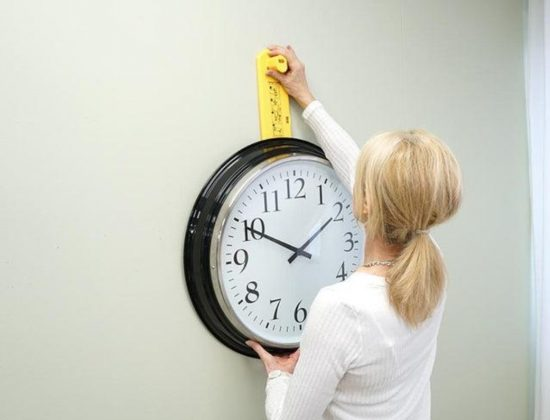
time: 1:49
